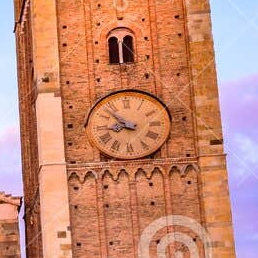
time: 8:53
